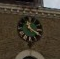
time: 11:19
